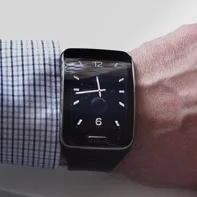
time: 11:43
